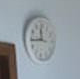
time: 11:44
